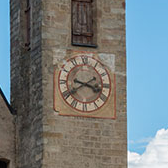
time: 3:40
